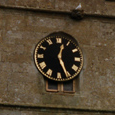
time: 12:26
